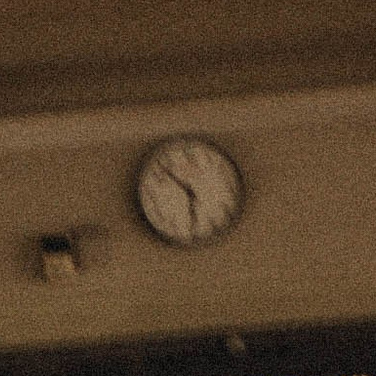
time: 5:52
